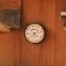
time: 4:12
